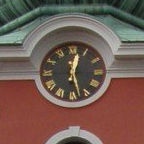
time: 12:27
